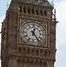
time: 12:23
